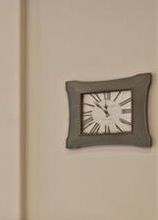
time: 11:52
